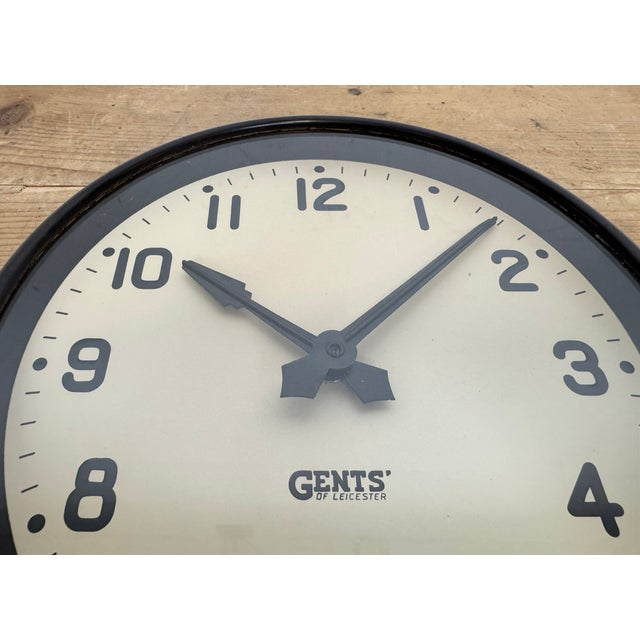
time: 10:07
